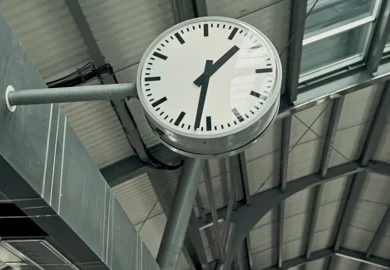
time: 1:32
